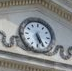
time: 5:24
